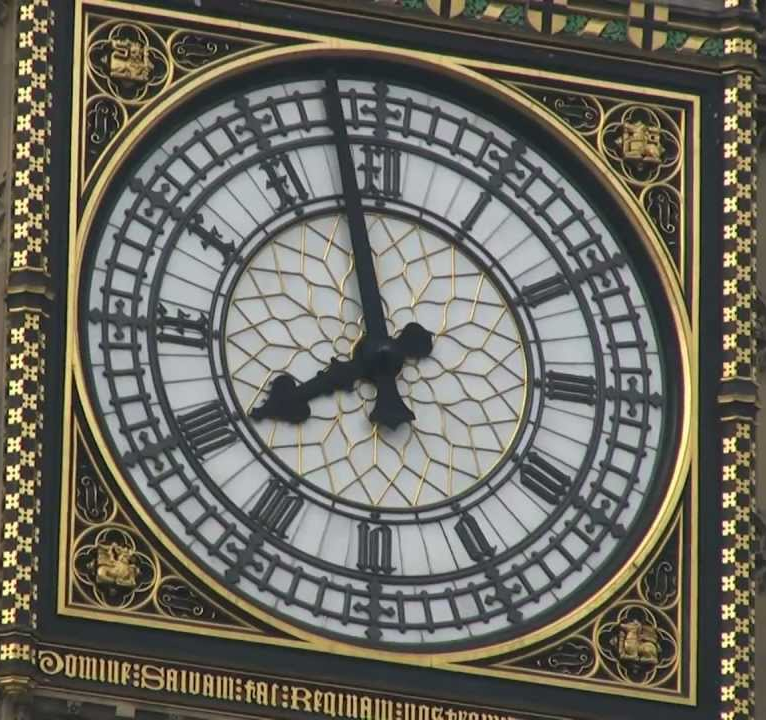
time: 7:57
